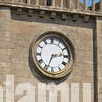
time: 2:33
